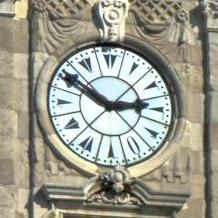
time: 2:50
